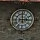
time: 2:59
